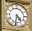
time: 4:31
